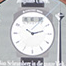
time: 10:12
